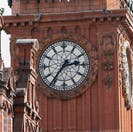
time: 2:36
